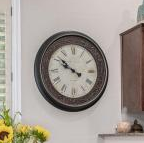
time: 9:51
